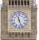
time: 11:26
